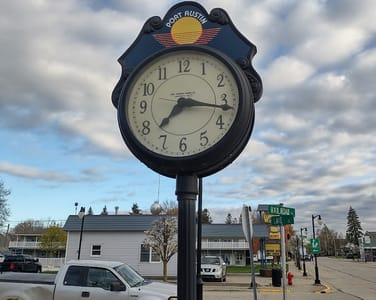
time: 7:16
